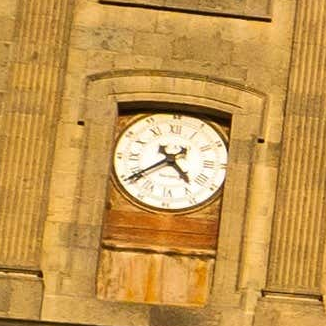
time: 4:39
